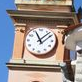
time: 11:07
